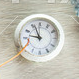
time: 8:56
